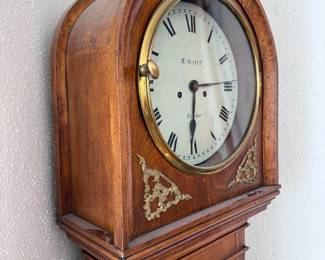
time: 6:14
